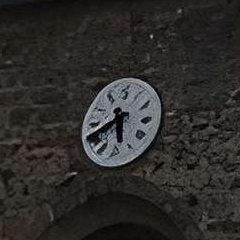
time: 5:40
